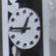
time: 12:45
